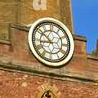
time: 8:51
